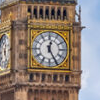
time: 12:25
